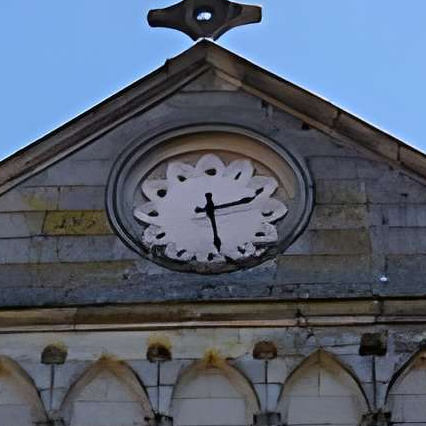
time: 2:28
